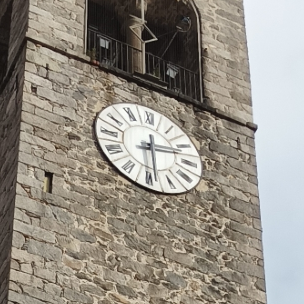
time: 2:28
